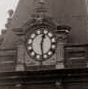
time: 12:28
